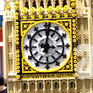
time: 3:01
